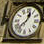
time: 12:37
